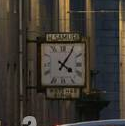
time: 4:05
